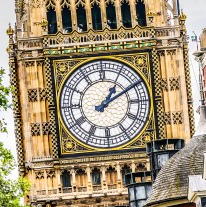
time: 1:10
